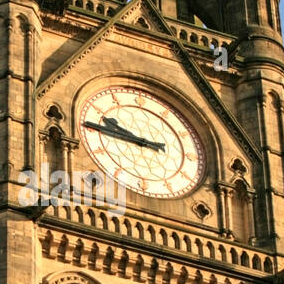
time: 9:45
